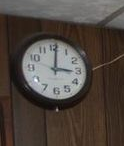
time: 3:00
